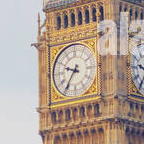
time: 9:36
